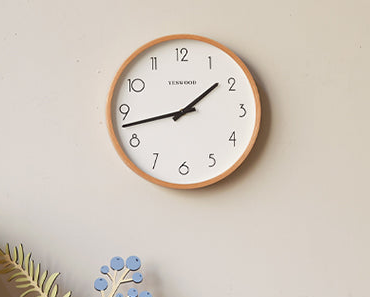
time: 1:42
